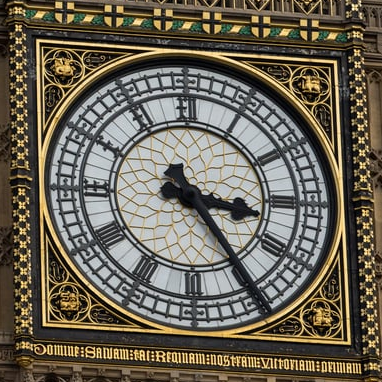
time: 3:24
